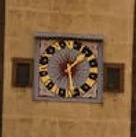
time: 1:28
